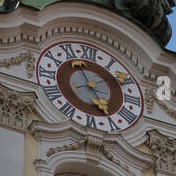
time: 1:56
